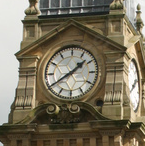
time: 1:39
